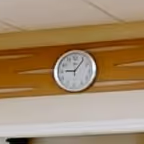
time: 9:06
